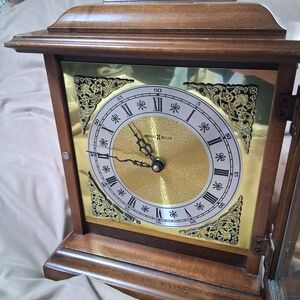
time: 10:45
